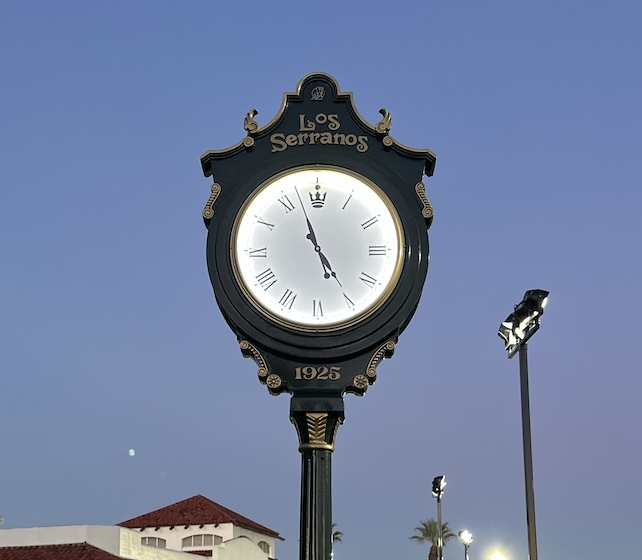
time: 4:57
